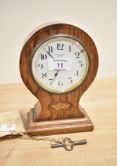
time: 6:53
